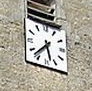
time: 5:37
